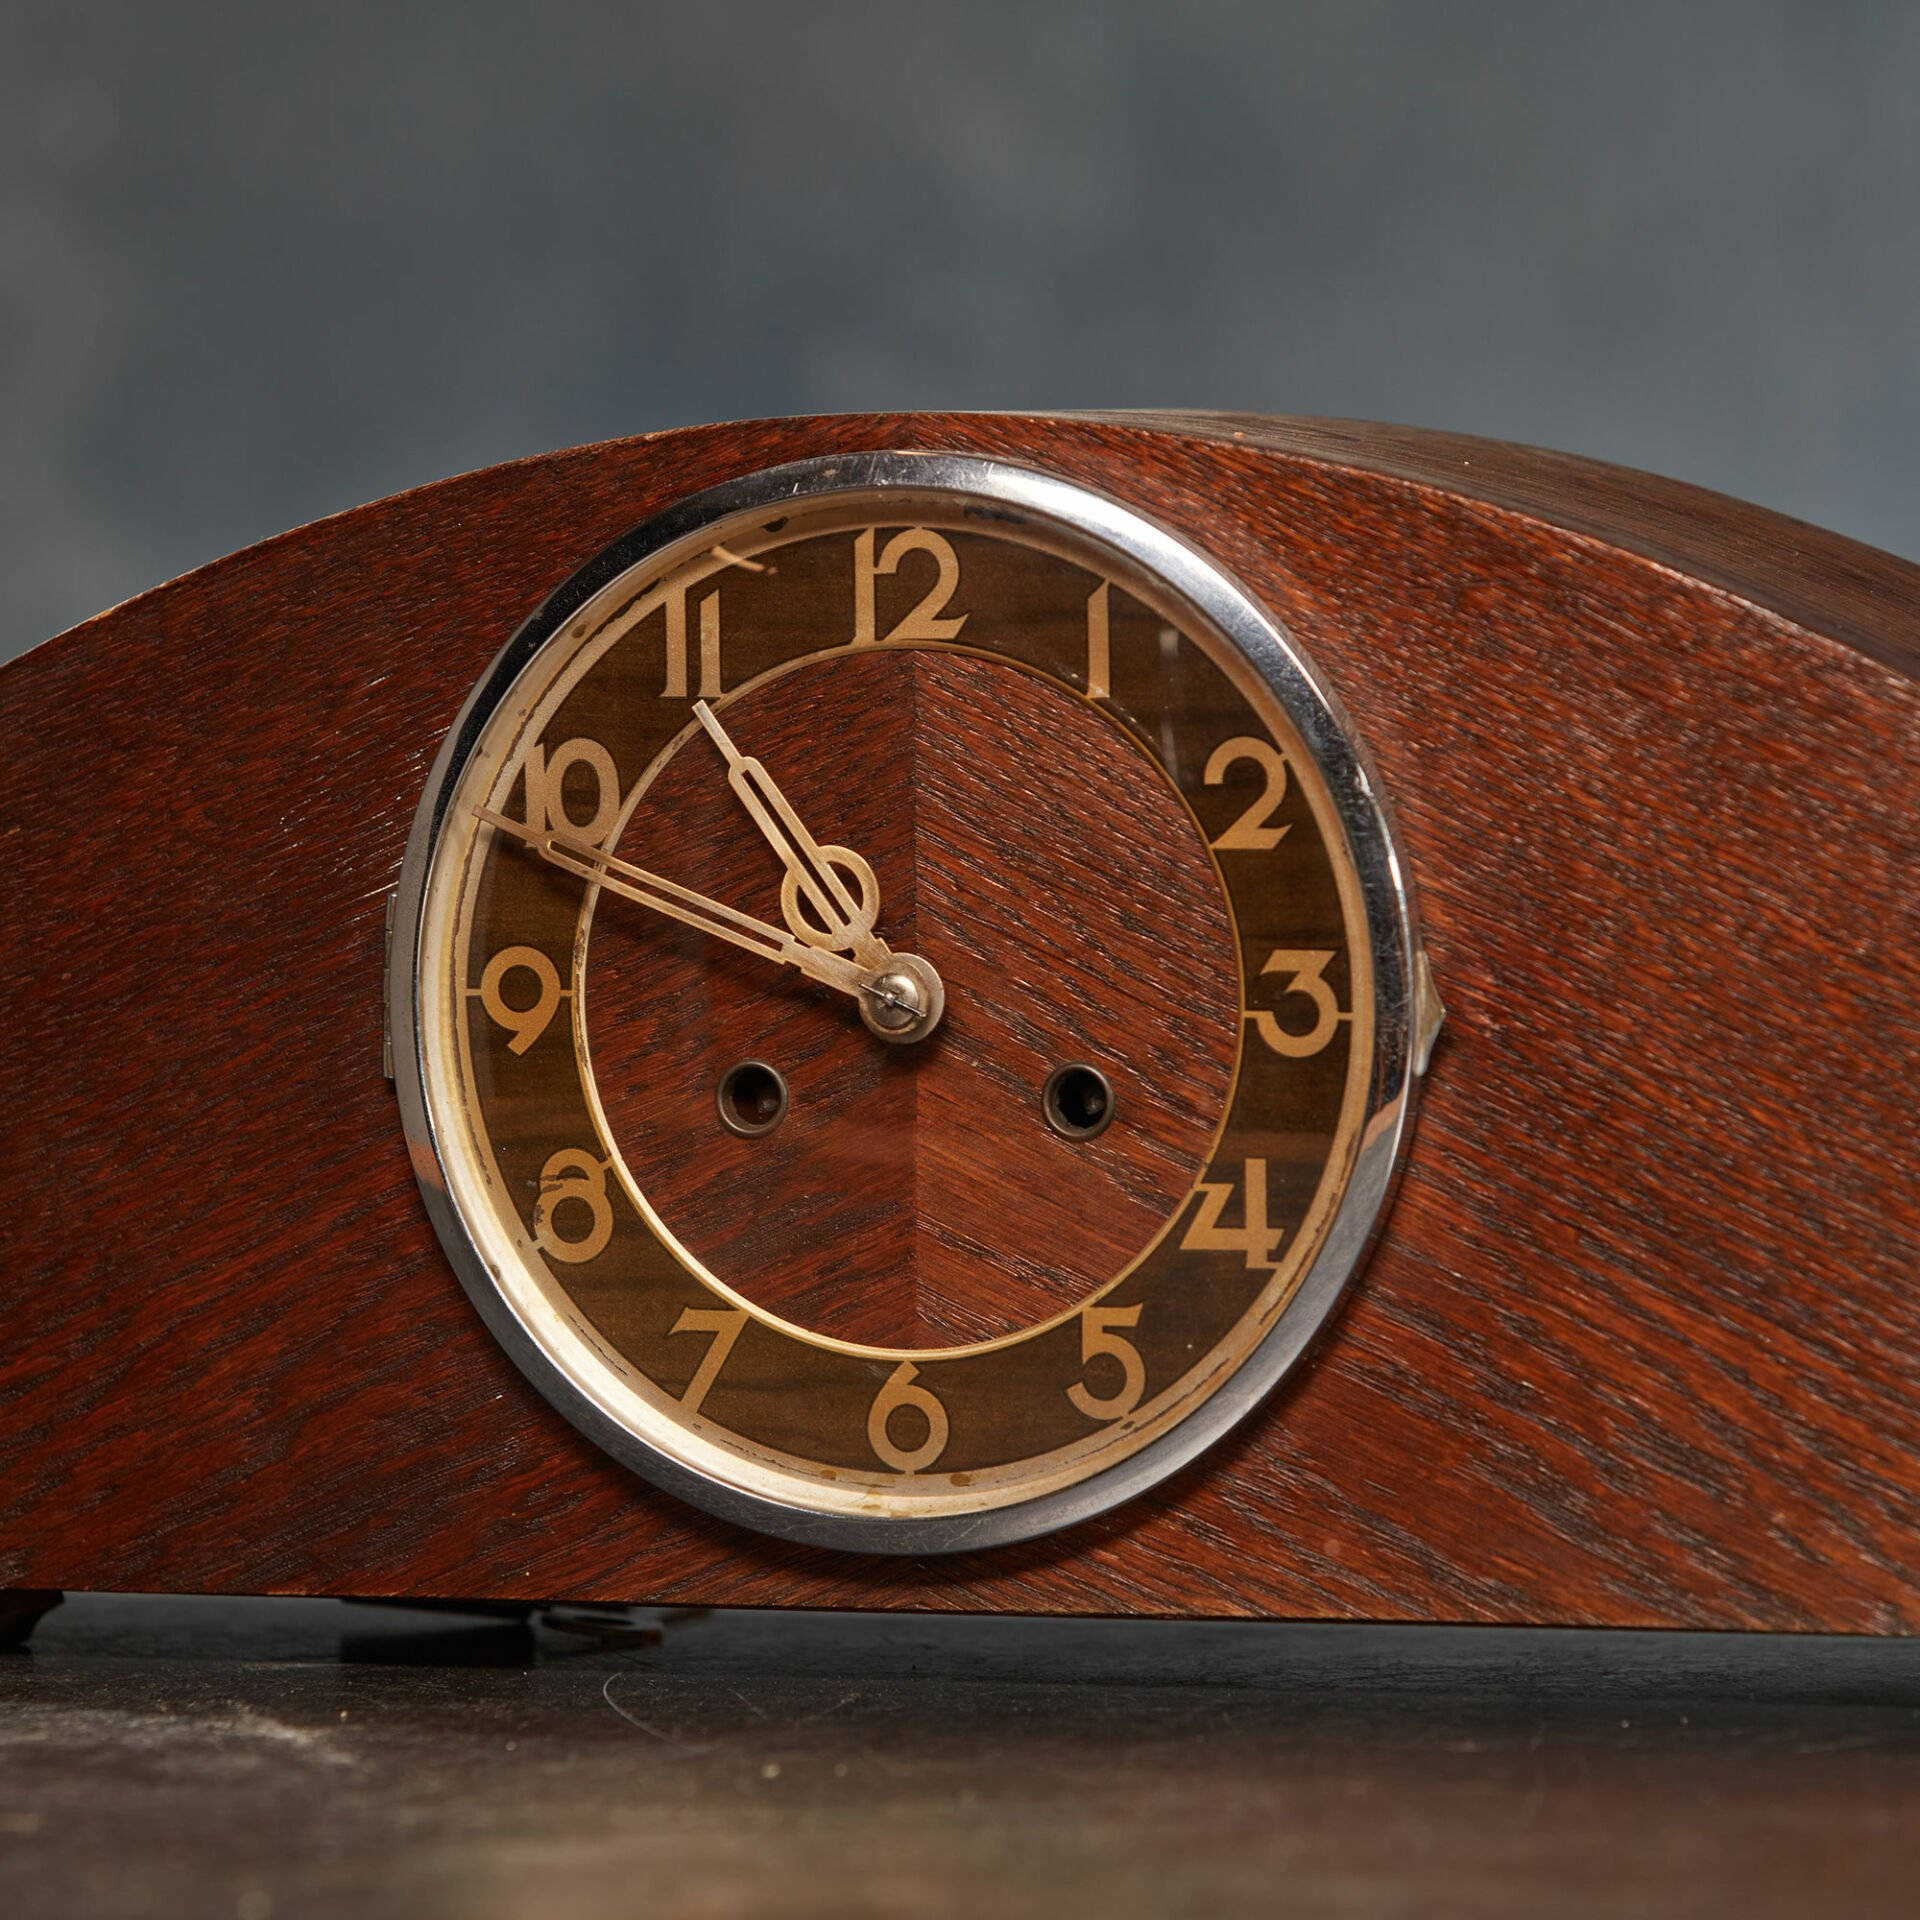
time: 10:48
